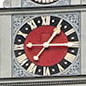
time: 1:13
